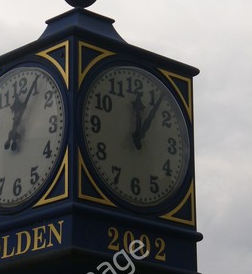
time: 12:06
